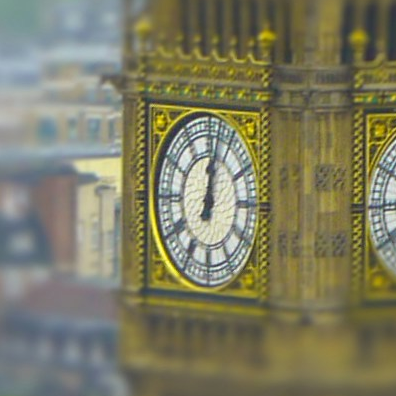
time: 12:02
